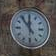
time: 11:53
